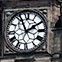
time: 1:56
